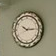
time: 10:14
